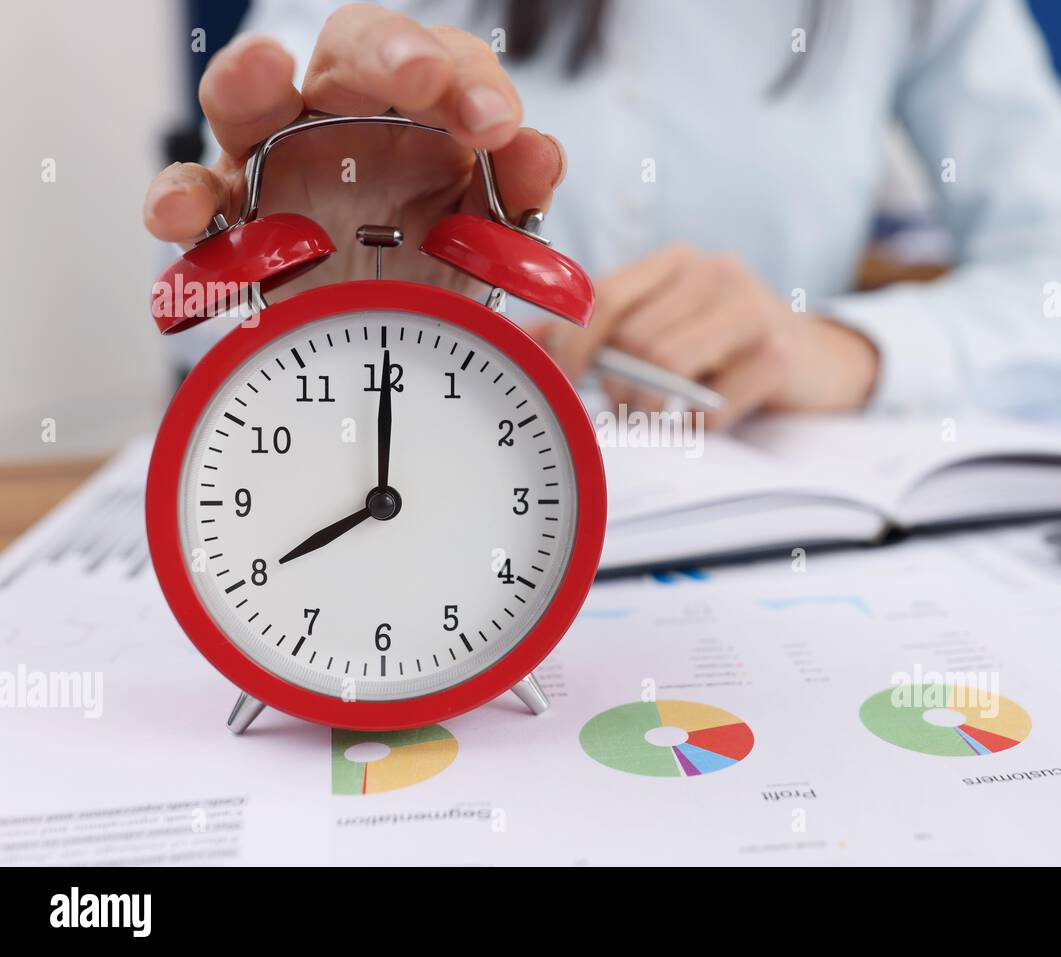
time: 8:00
